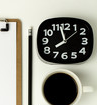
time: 7:57
